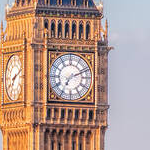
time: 7:11
